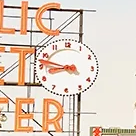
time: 8:47
